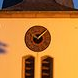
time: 10:07
